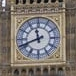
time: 11:41
